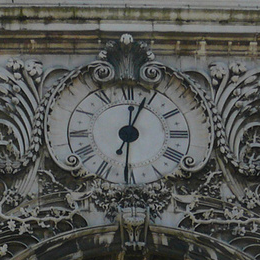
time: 6:03
